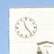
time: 11:23
